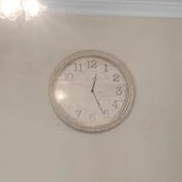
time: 12:25
